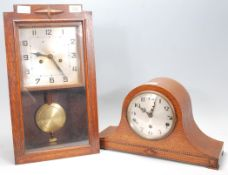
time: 9:23
